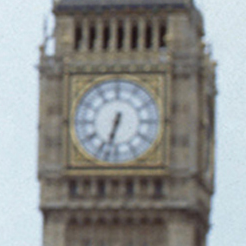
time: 6:32
